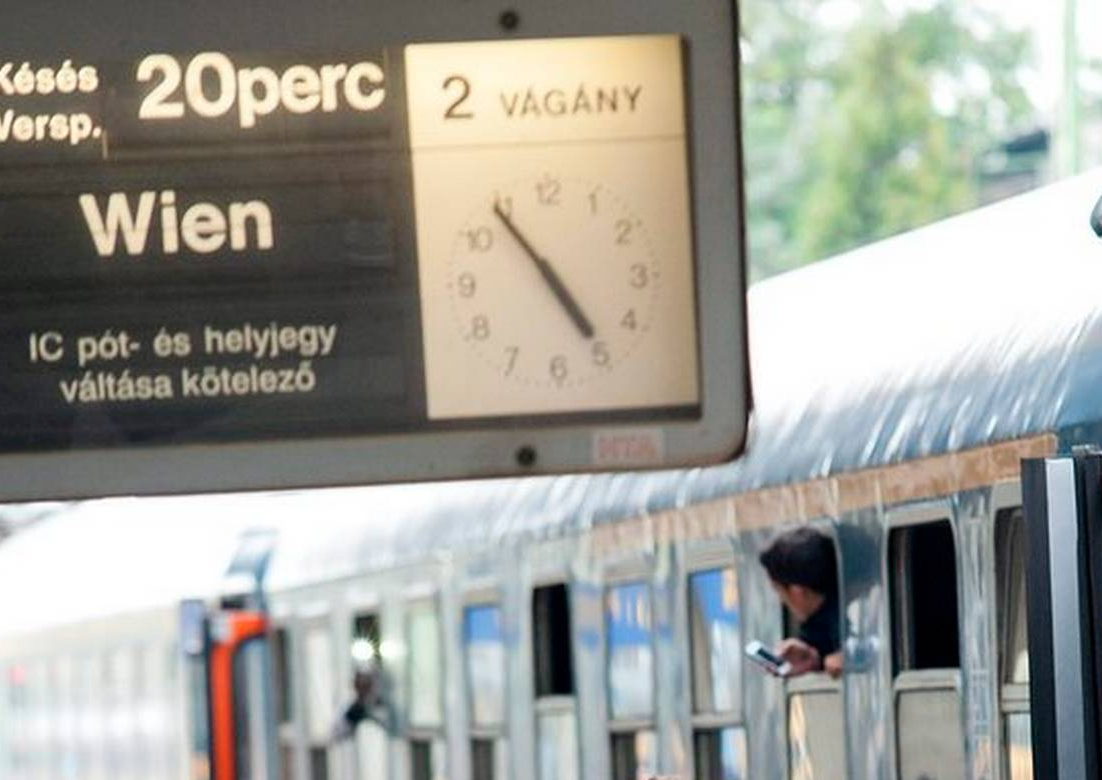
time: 4:53
